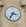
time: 3:35
